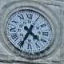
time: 4:34
